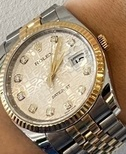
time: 1:00
